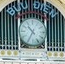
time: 10:34
